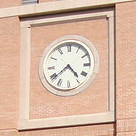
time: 4:38
